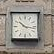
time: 10:16
